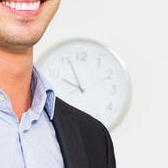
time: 9:56
